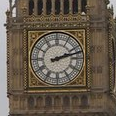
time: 2:12
